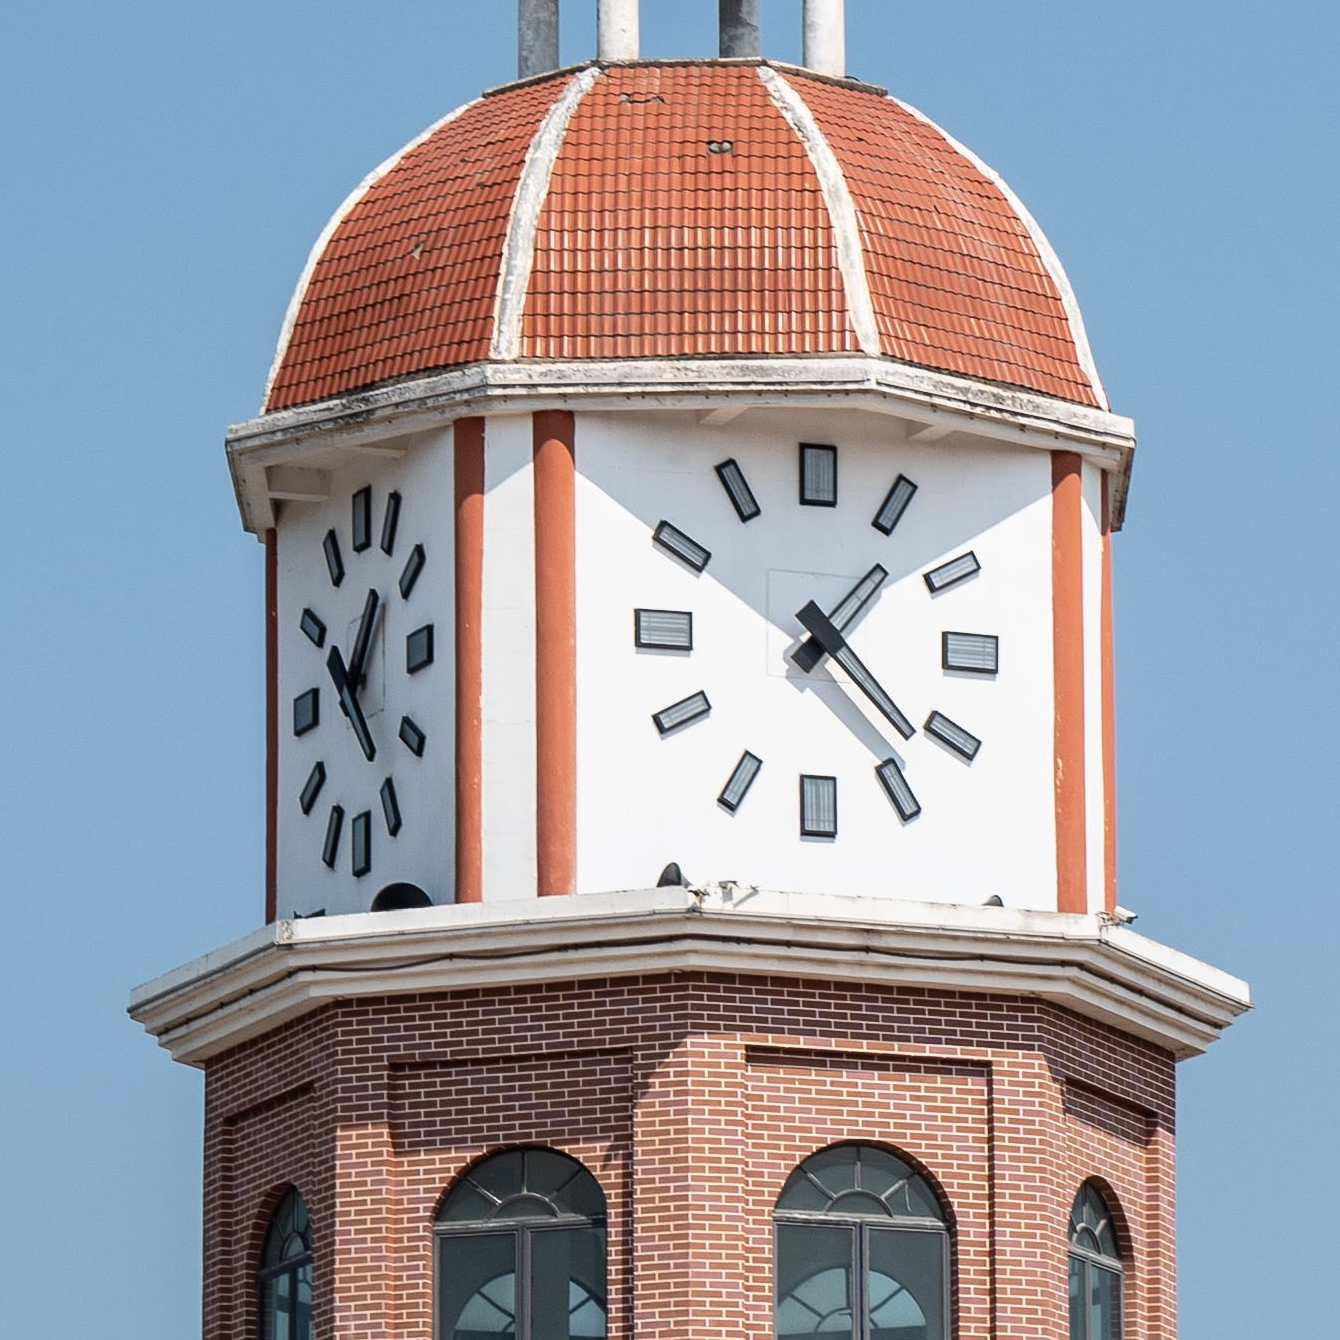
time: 1:22
